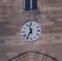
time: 11:35
